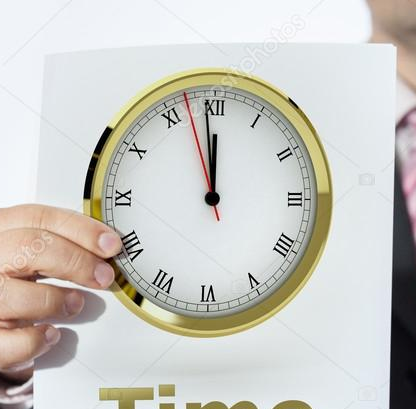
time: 11:58
